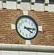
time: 4:15
